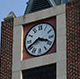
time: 3:40
